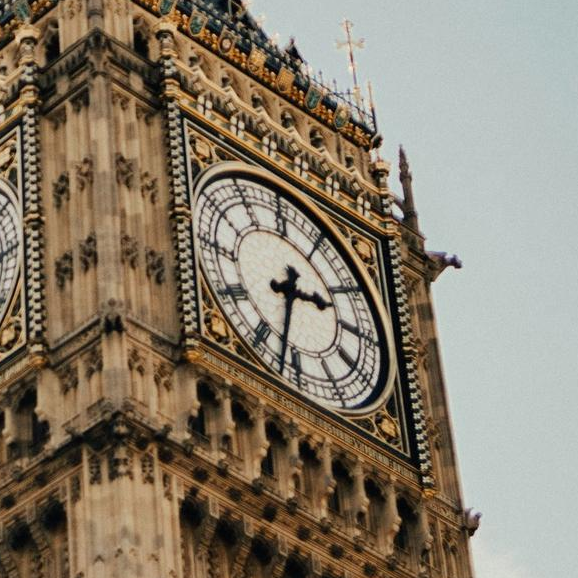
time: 2:32
